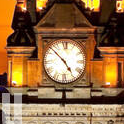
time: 4:52
